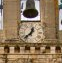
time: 12:37
